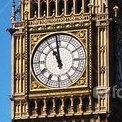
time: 10:58
